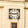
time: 2:46
